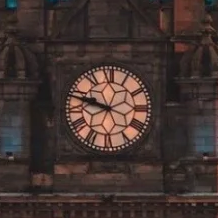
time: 9:48
